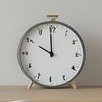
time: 9:59
